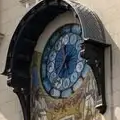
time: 11:35
